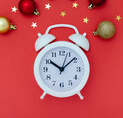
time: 10:08
